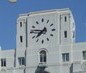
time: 7:46
